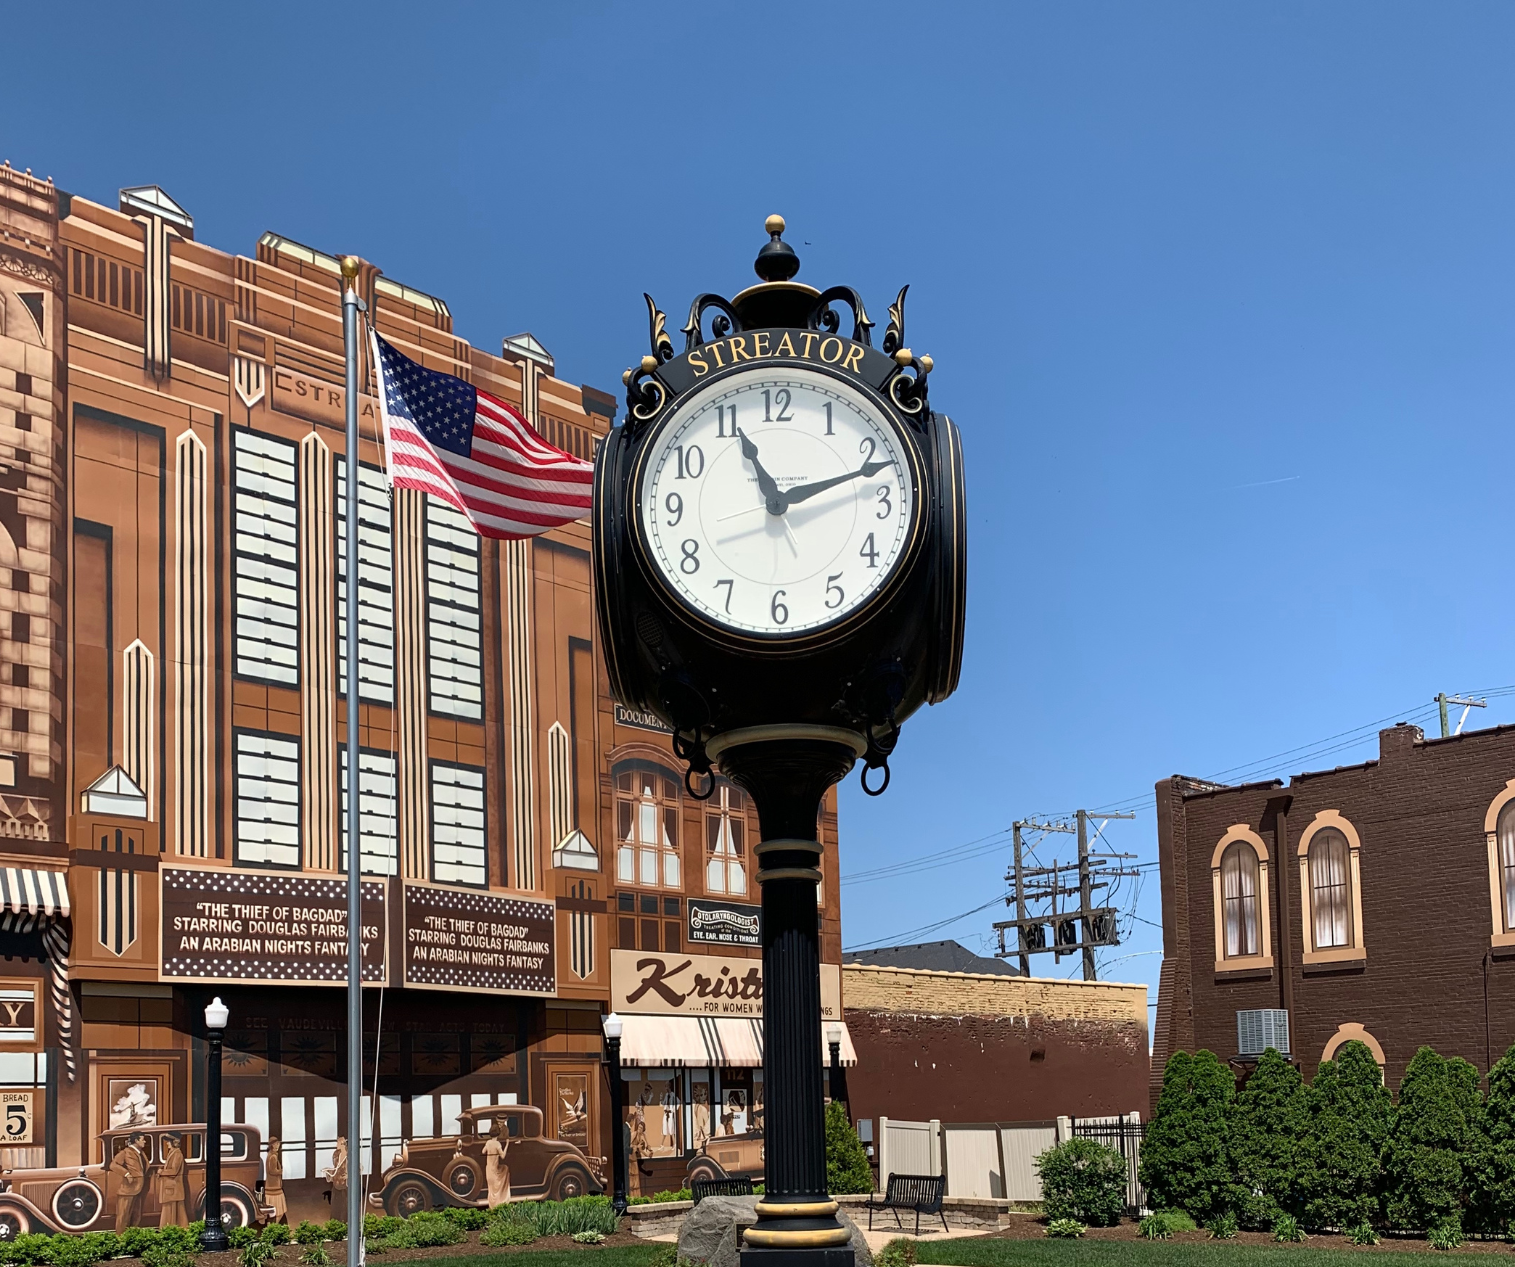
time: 11:12
